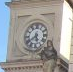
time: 5:38
